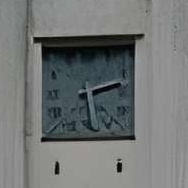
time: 2:29
